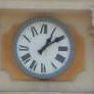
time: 1:09
